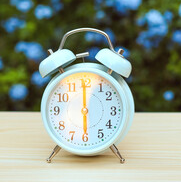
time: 5:59
